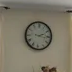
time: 2:16
